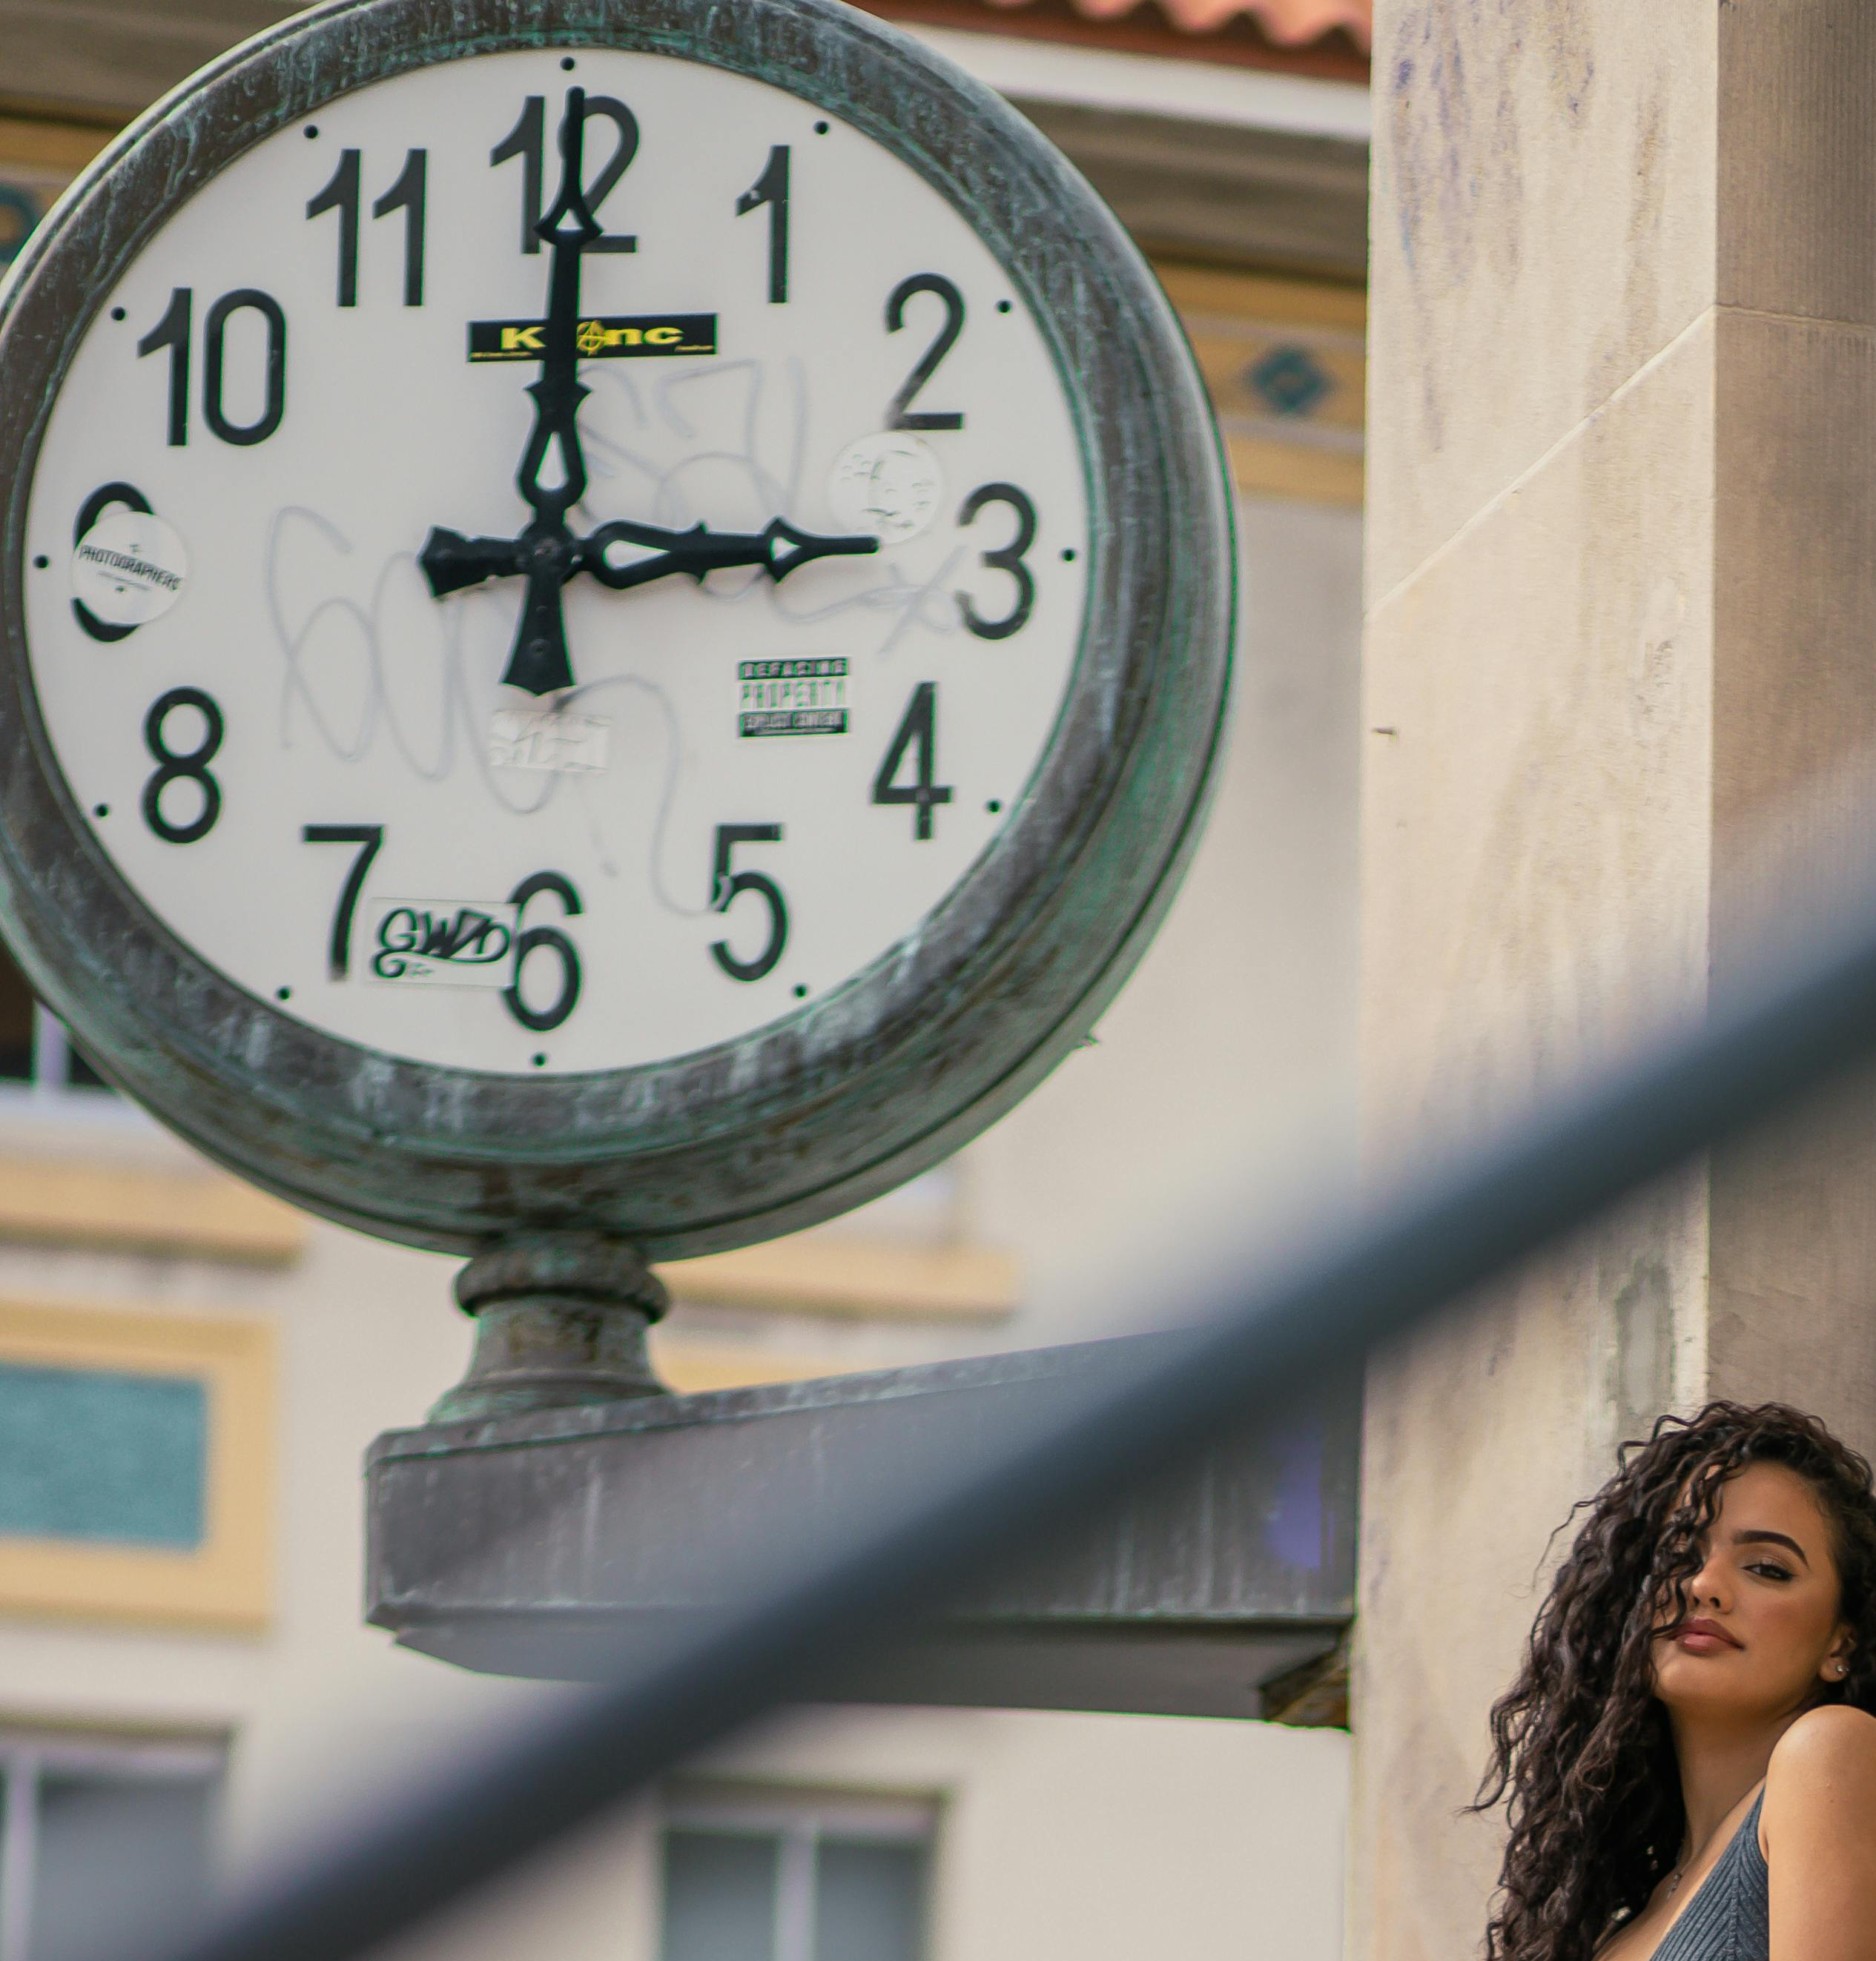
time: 3:00
